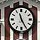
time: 11:25
